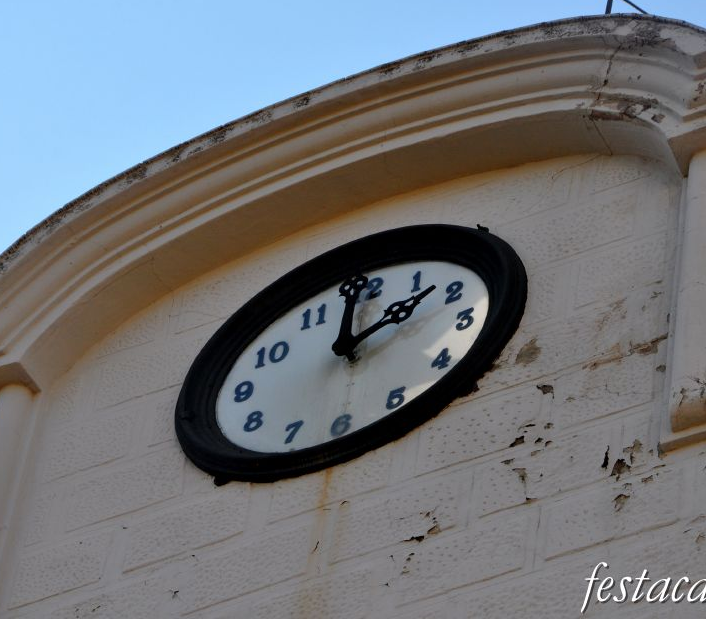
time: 1:59
